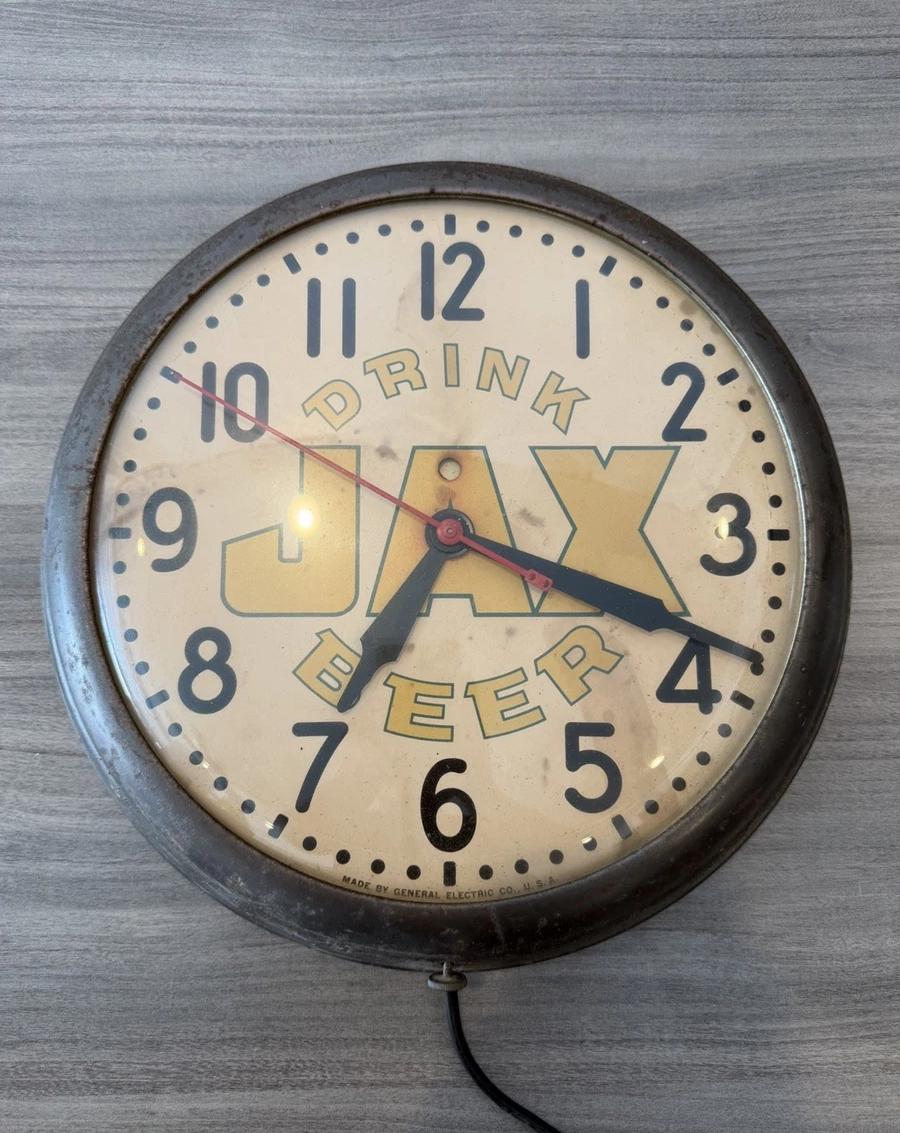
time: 7:18
